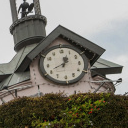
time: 12:41
